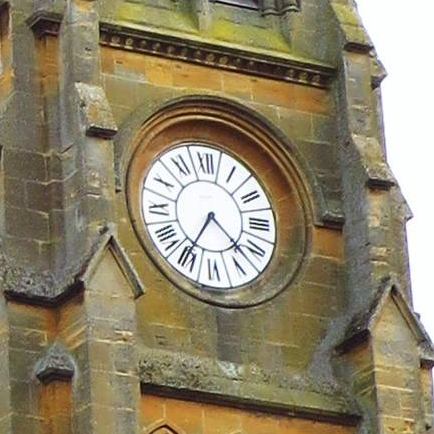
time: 4:35
